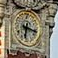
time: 6:17
